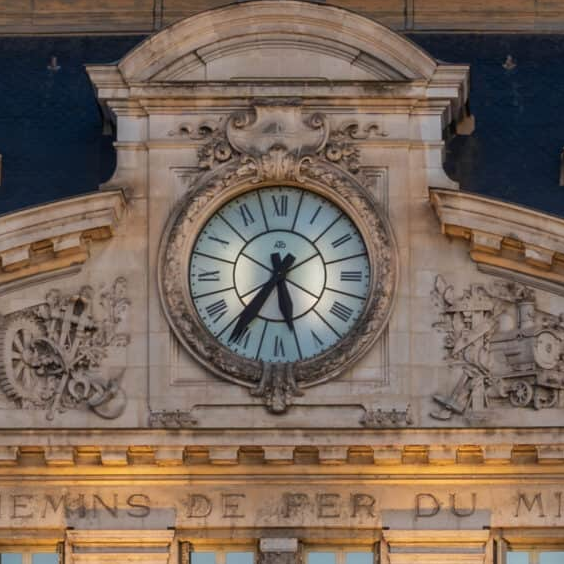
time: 5:35
